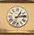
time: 1:13
